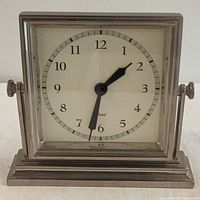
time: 1:32
